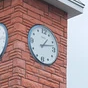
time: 1:12
